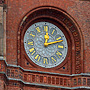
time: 12:11
